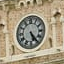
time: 5:24
